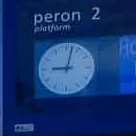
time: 9:02
